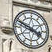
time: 3:48
